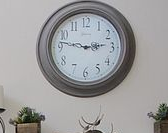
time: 2:46
